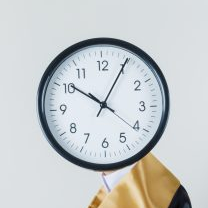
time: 10:04
